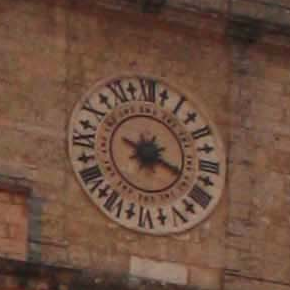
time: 7:18
